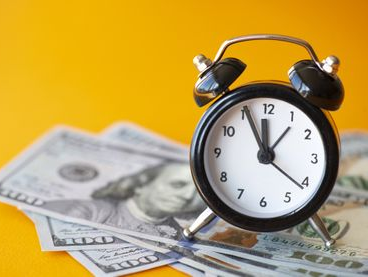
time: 11:55
